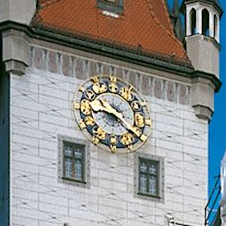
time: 9:22
